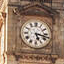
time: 5:17
